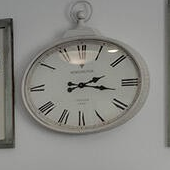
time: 2:16
